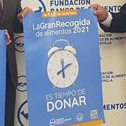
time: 6:11
